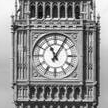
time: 11:05
